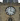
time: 4:01
